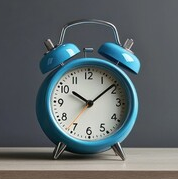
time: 10:08
